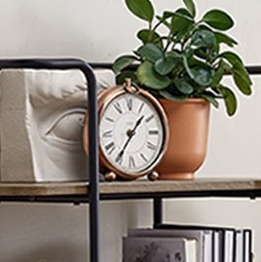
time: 1:35
